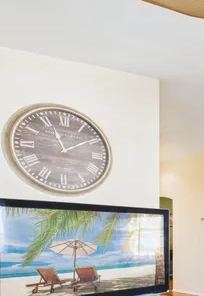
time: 11:09
